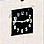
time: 2:46
